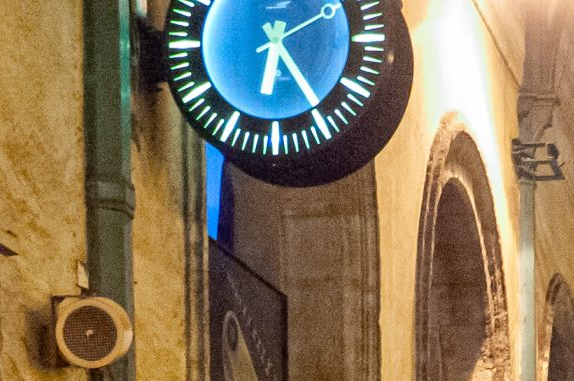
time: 6:24
